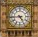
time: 4:44
